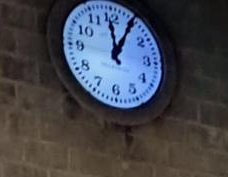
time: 12:05
